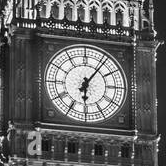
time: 6:06
